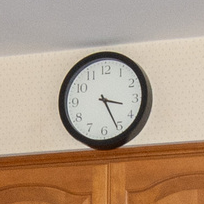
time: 3:25
